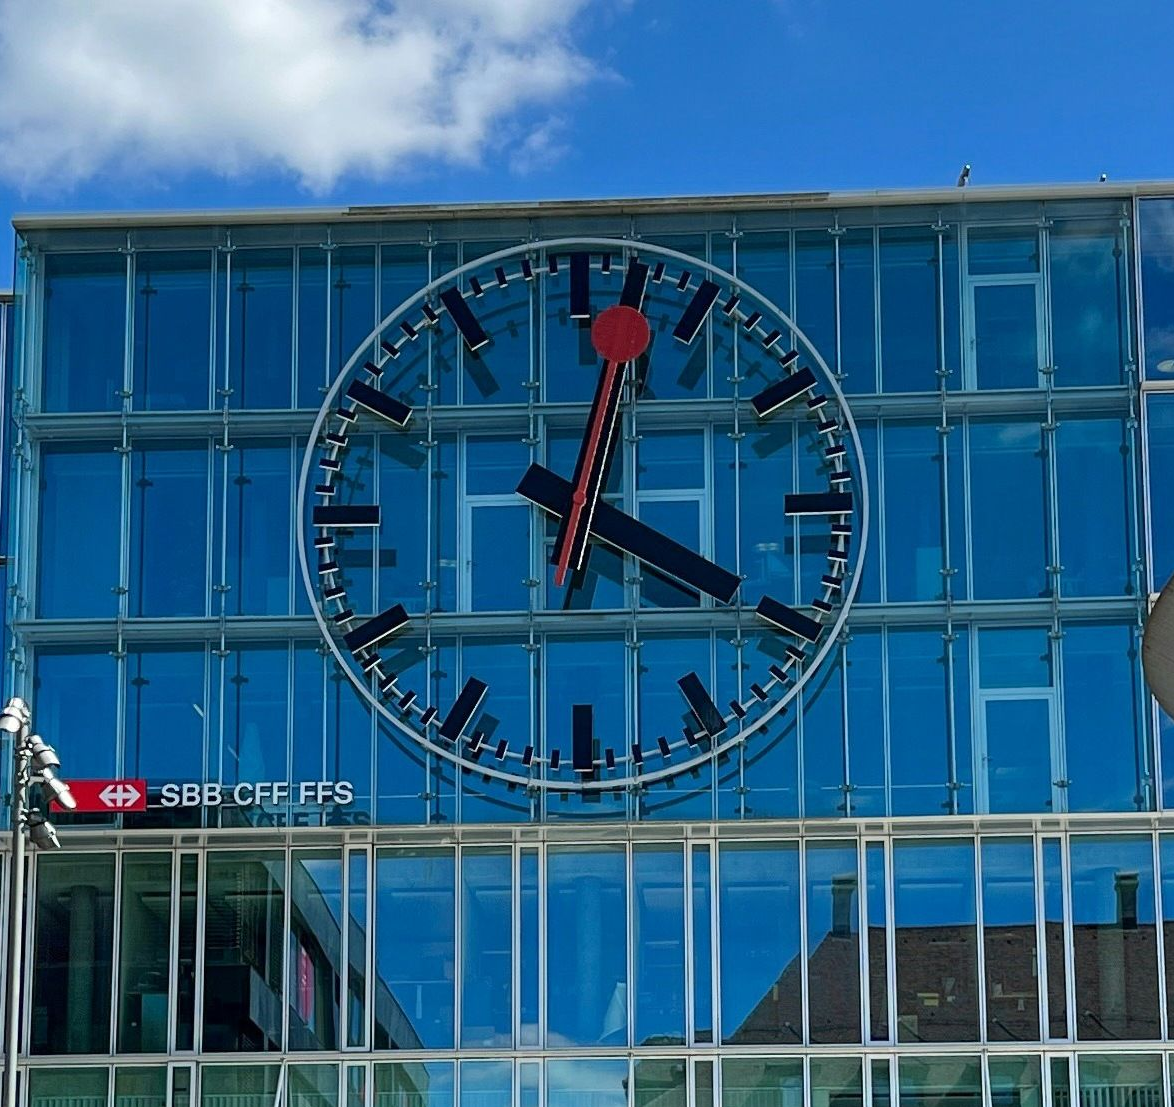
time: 12:19
